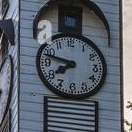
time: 7:47
